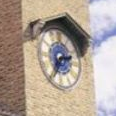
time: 2:35
